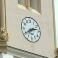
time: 2:40
